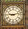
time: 9:12
